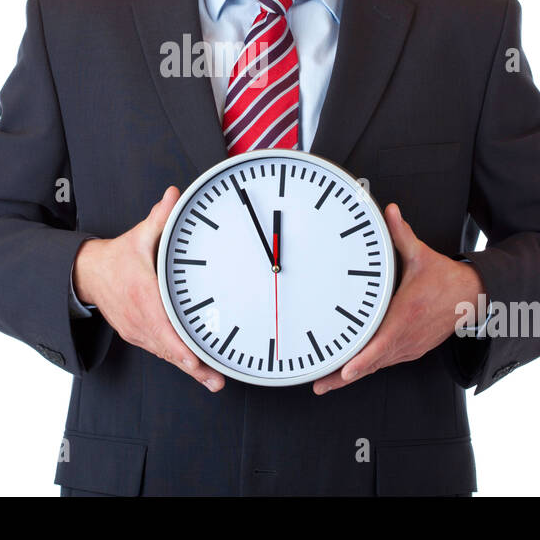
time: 11:55
